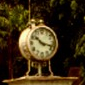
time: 10:17
